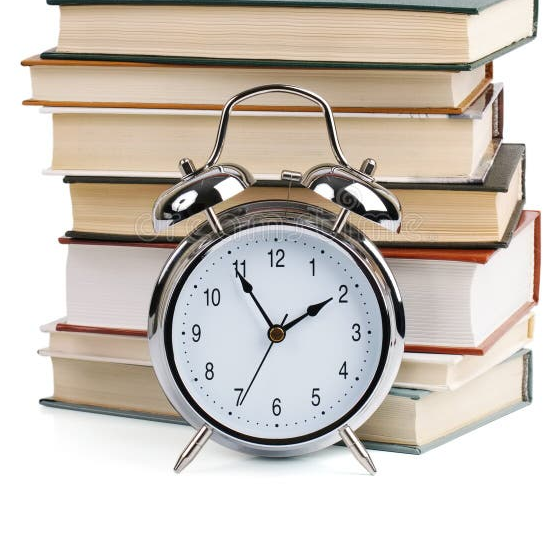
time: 1:54
